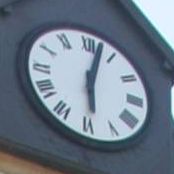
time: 6:02
